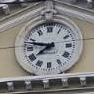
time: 7:47
